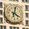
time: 4:02
